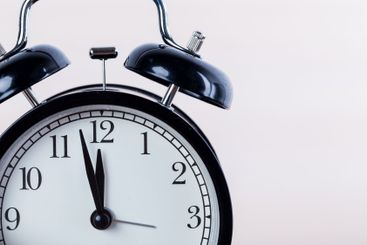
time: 11:57
